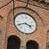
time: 3:40
